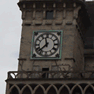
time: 11:37
